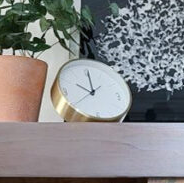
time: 10:00
